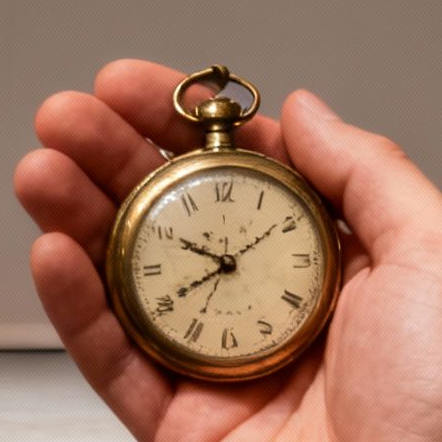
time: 9:40
